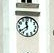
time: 11:38
